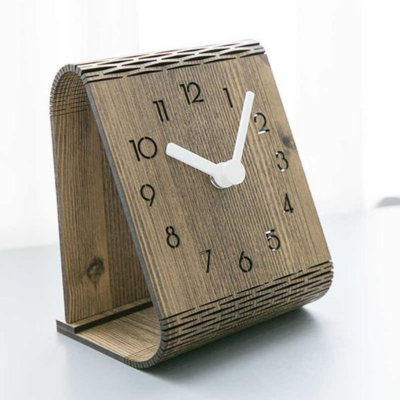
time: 10:07
